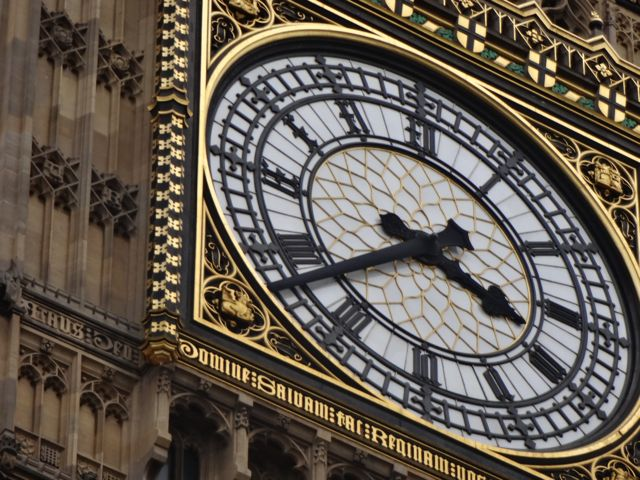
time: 3:38
